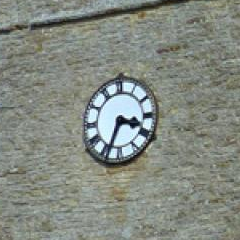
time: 3:33
